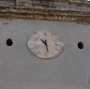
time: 10:28
